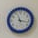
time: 11:17
